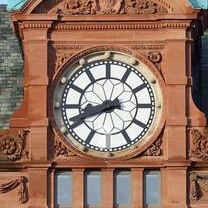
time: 8:41
